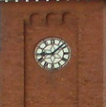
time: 9:07
